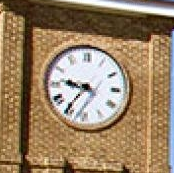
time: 9:36
